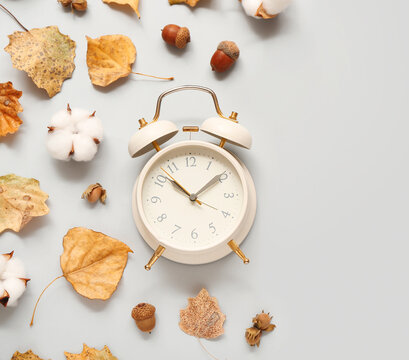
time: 1:52
